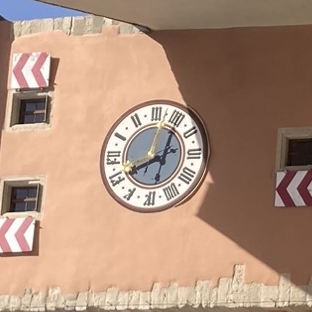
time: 12:41
